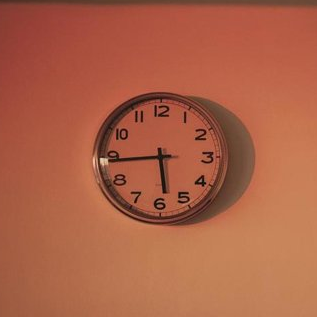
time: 5:44
